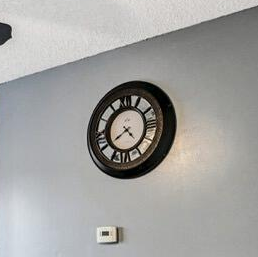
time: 4:40
